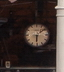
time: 6:08
